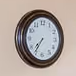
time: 7:35
